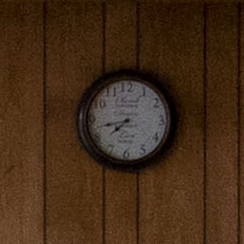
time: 7:42
